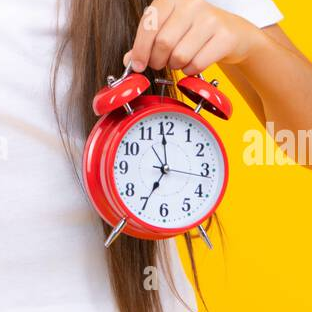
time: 6:59
